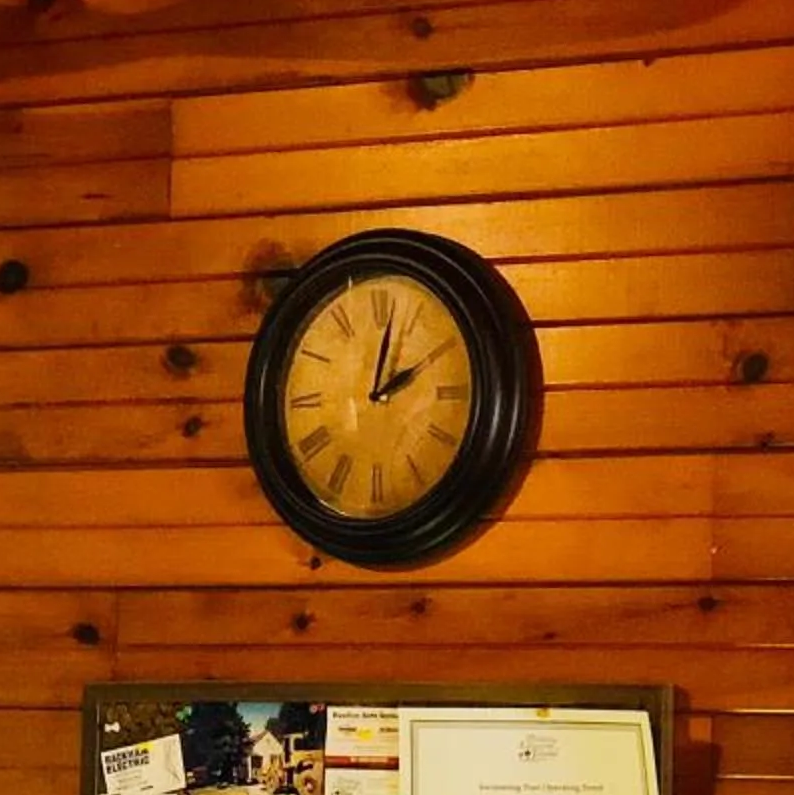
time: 2:02
